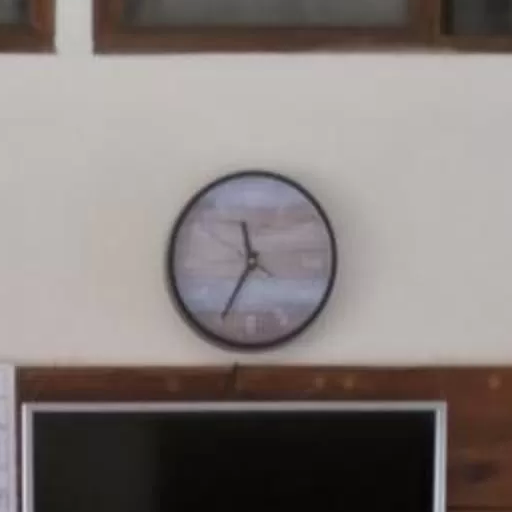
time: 11:35
